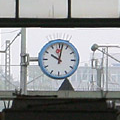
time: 10:01
